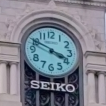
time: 3:49
